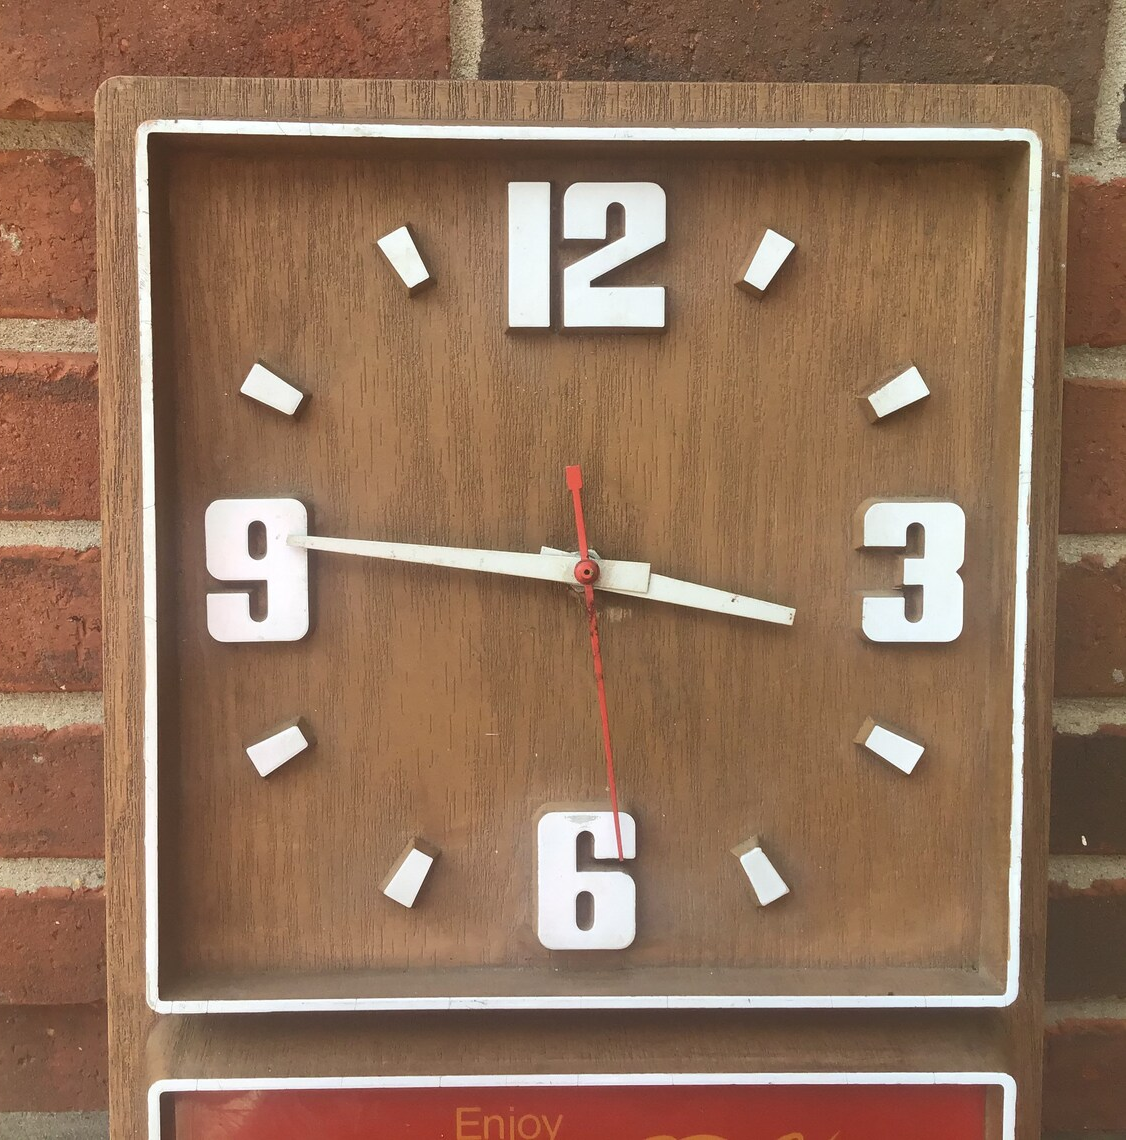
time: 9:16
